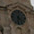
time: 4:31
